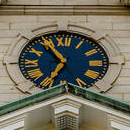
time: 6:54
